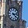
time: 4:12
